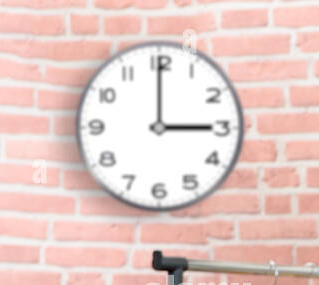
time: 3:00
